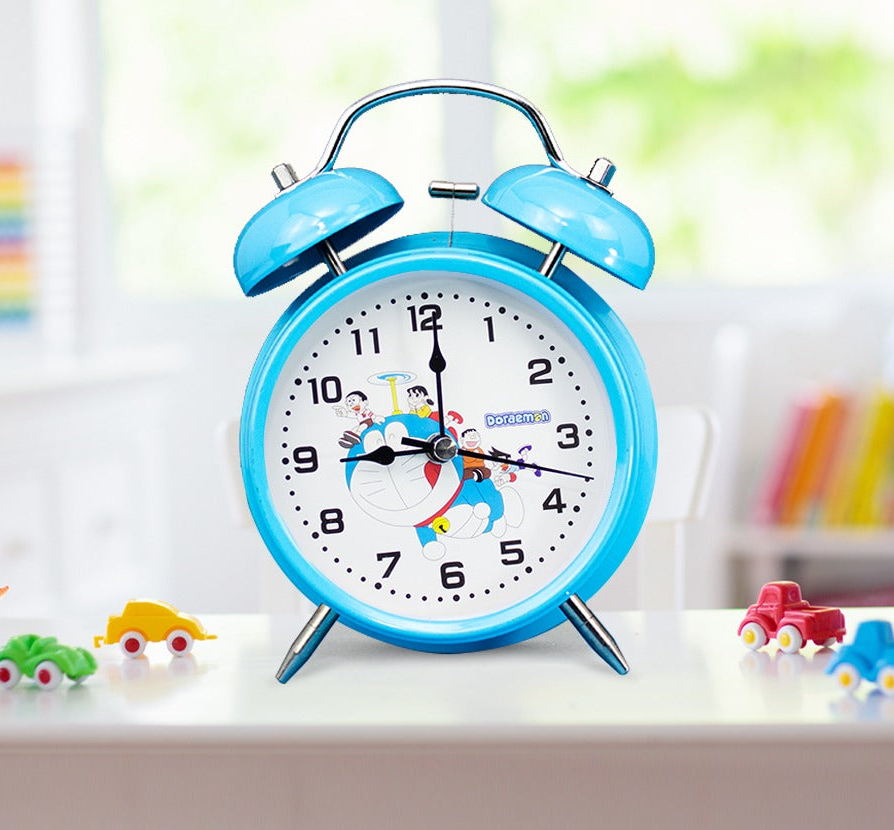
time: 9:00
